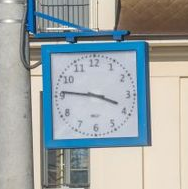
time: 3:46
